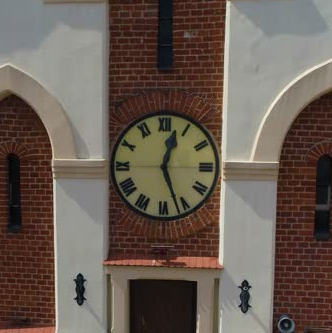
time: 12:26
